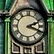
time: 2:18
